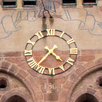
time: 4:36
